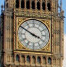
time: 3:50
